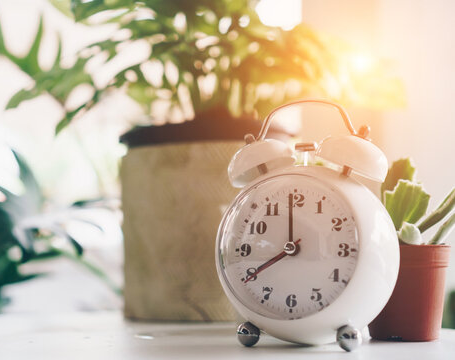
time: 7:59
